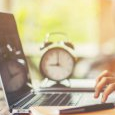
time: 9:01
